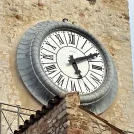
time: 5:10
